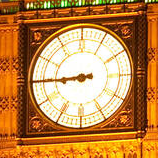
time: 8:44
